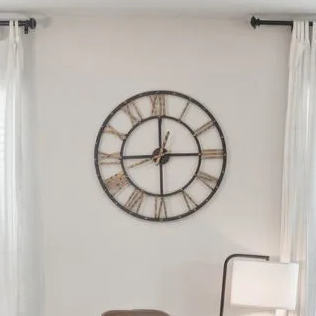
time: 9:00
